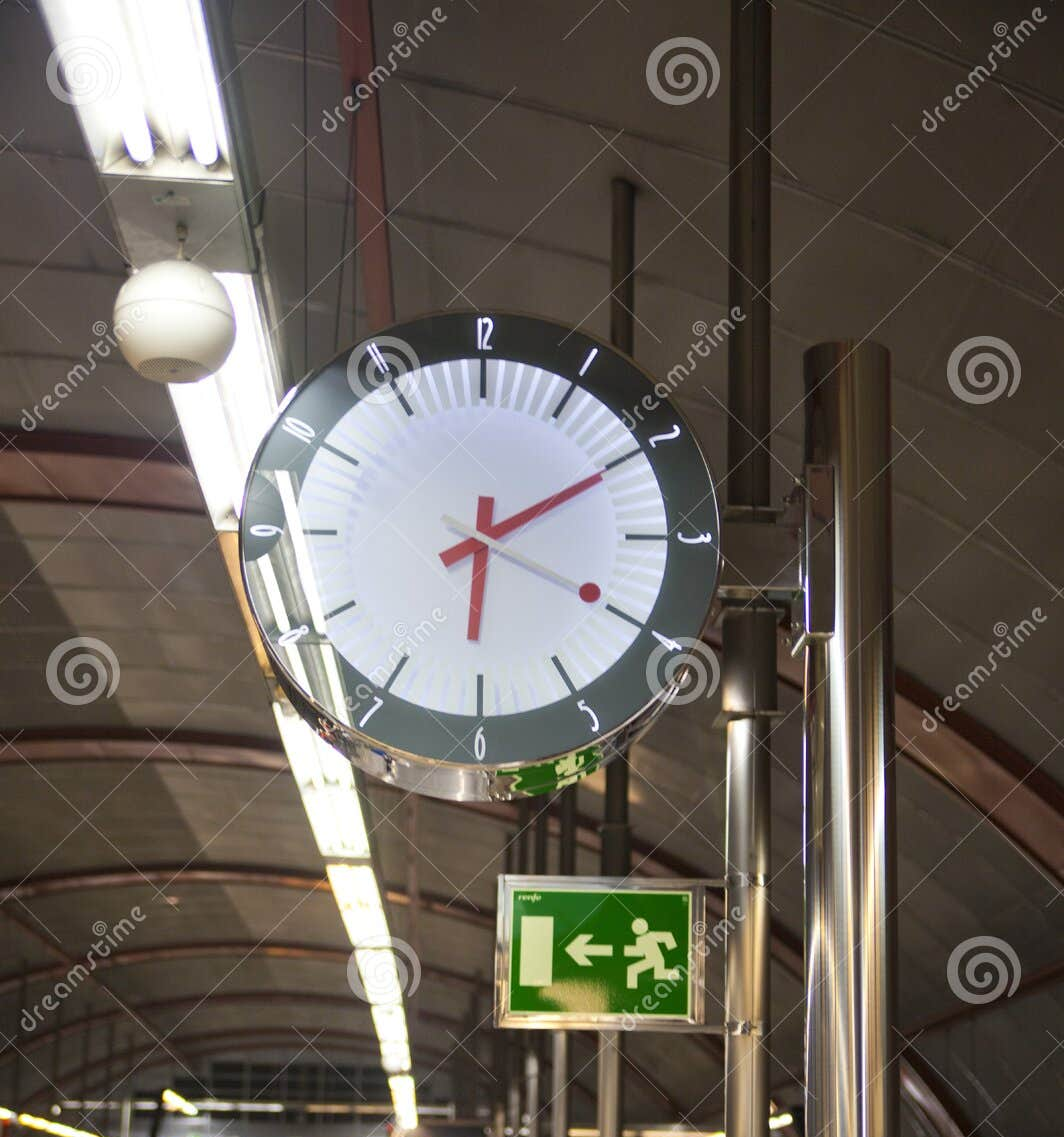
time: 6:10
